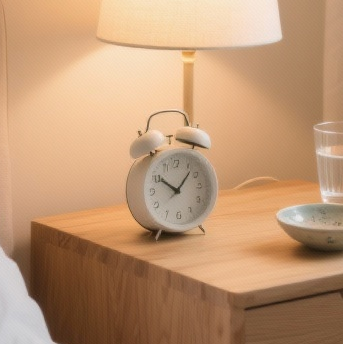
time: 10:07
